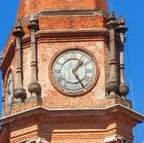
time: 1:24
